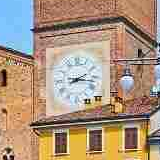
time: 2:16
